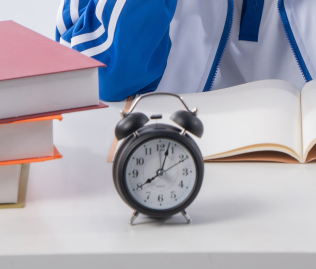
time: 8:03
